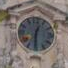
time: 12:30
